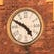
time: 4:49
